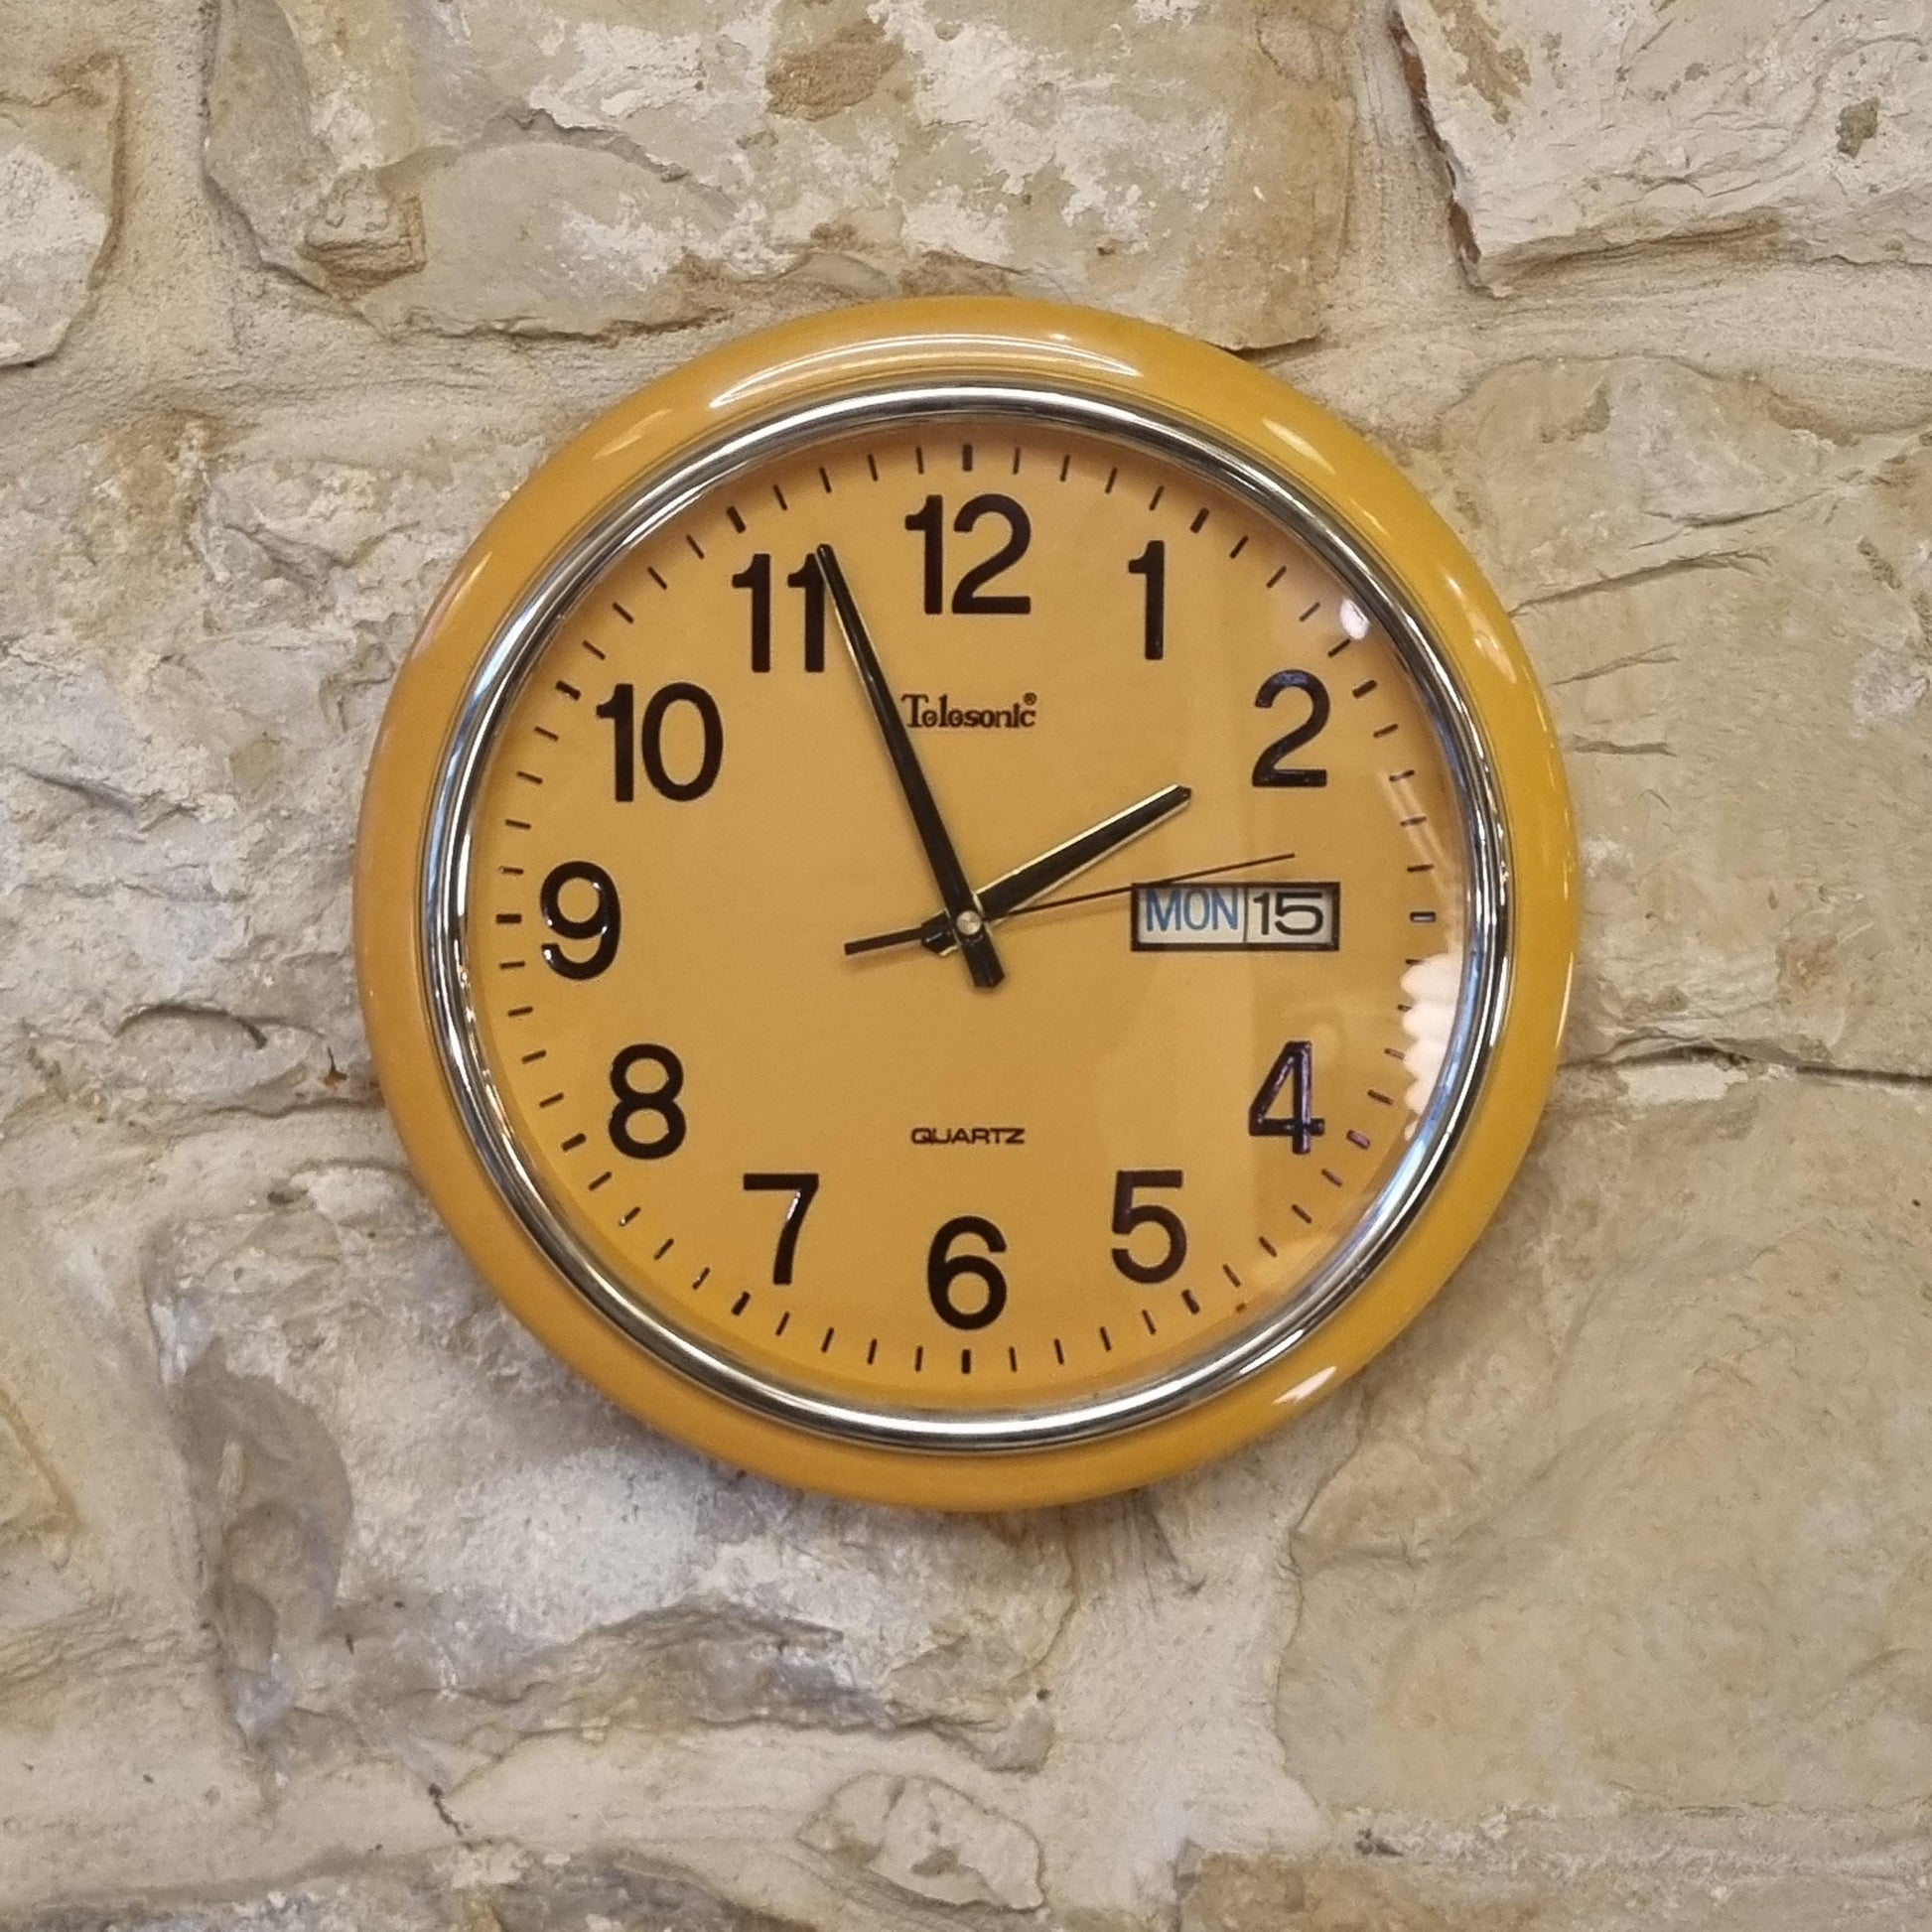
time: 1:56
